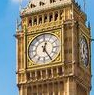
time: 12:24
